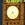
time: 7:24
